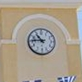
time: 10:45
